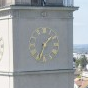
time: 1:33
